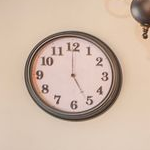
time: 5:00
